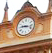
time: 9:17
